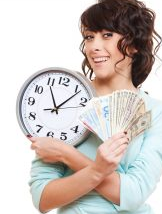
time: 11:06
